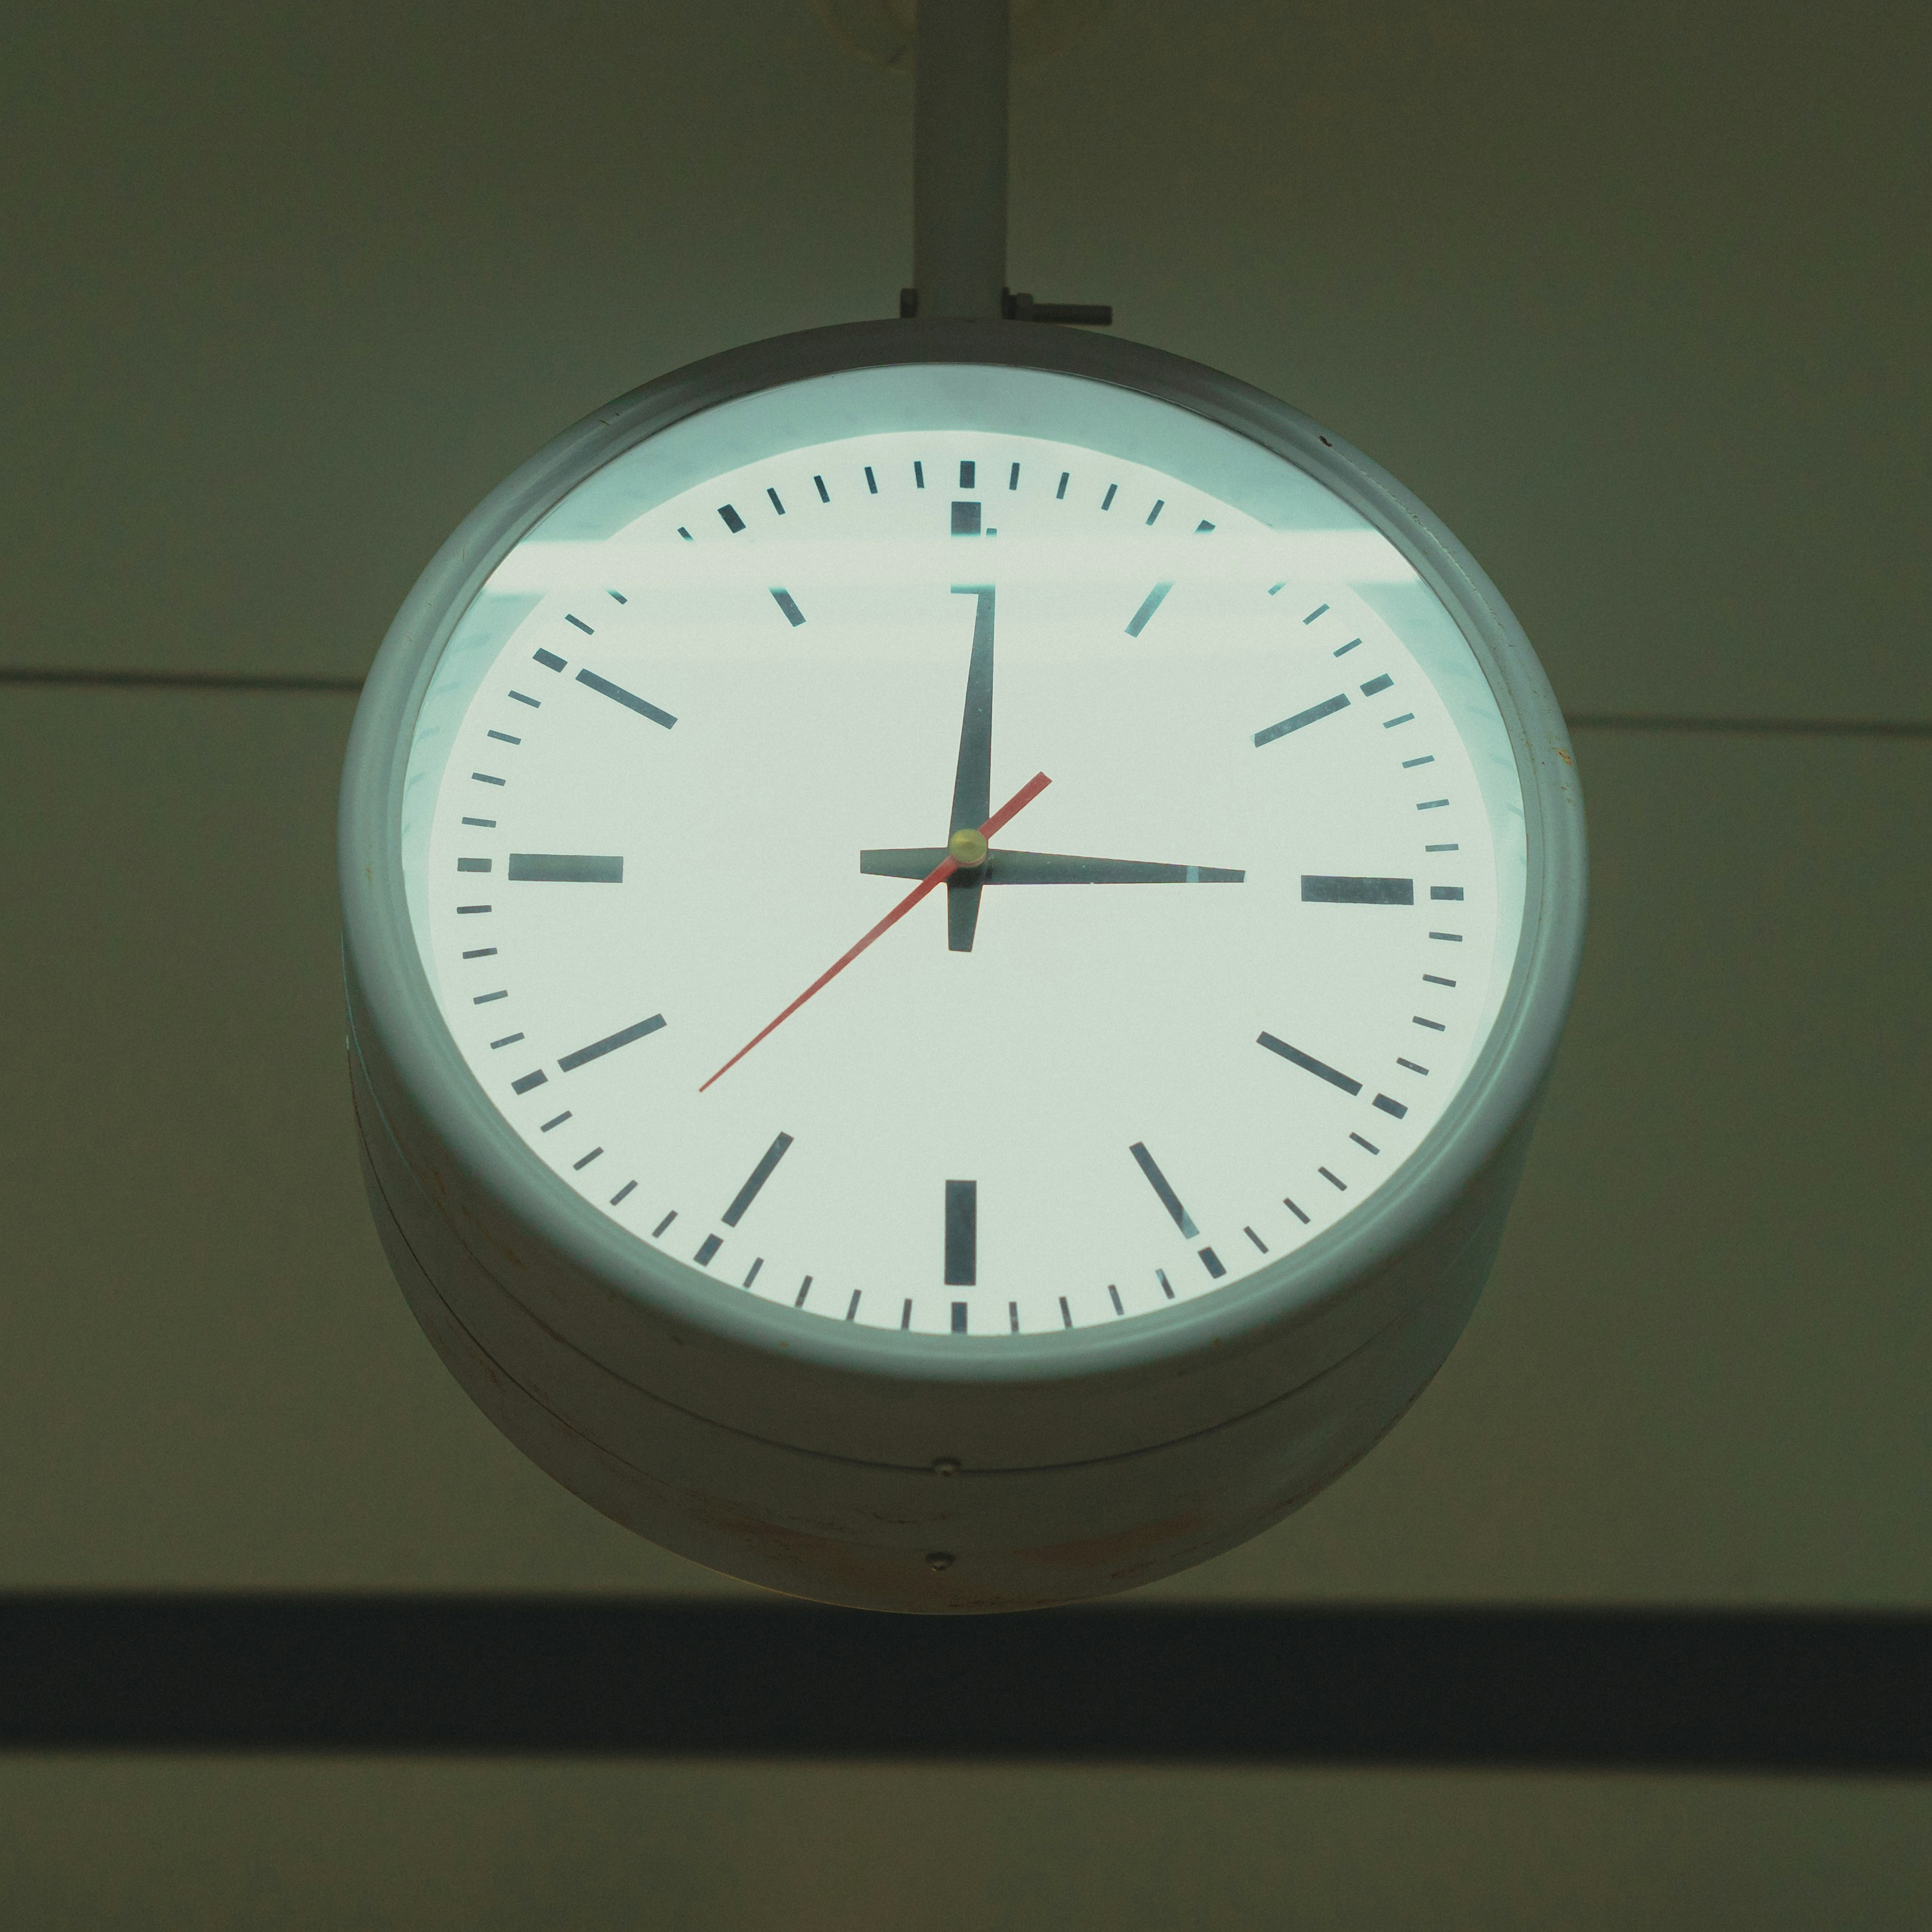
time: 3:00
